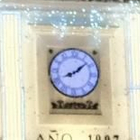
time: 8:08
